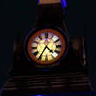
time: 4:35
